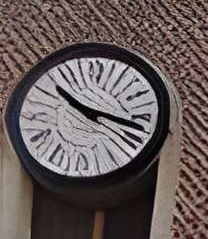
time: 10:17
